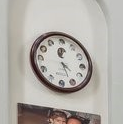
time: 4:26
